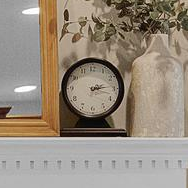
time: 2:13
